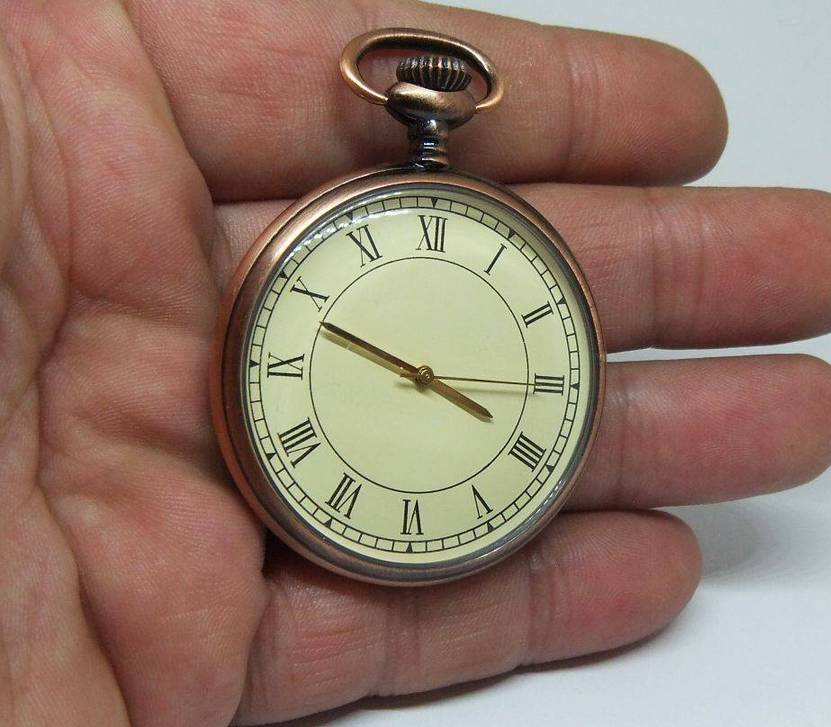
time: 3:48
